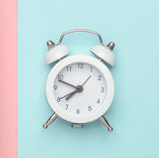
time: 7:48
